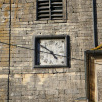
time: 4:50
